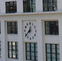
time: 12:38
